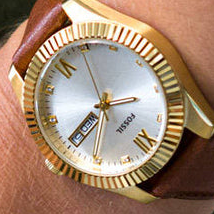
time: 2:36
